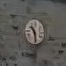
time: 10:28
